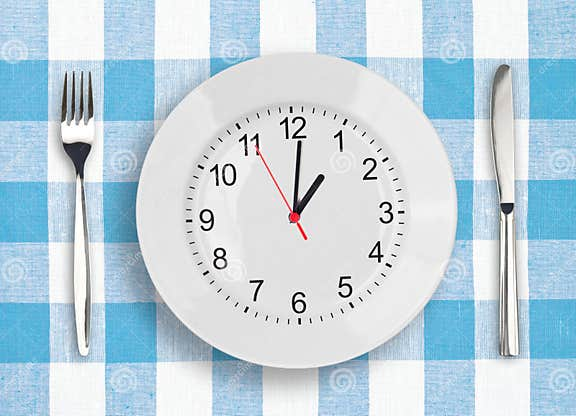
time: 1:00
